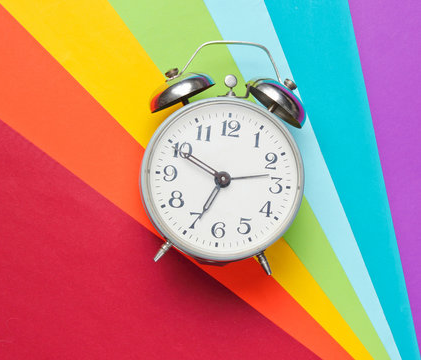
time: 6:49
